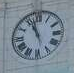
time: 10:57
